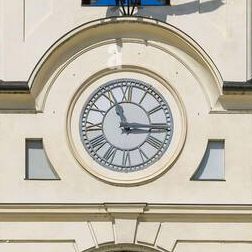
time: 11:15
